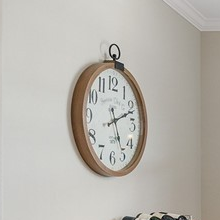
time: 5:11
